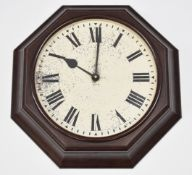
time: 10:00
